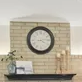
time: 4:13
